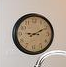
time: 9:10
